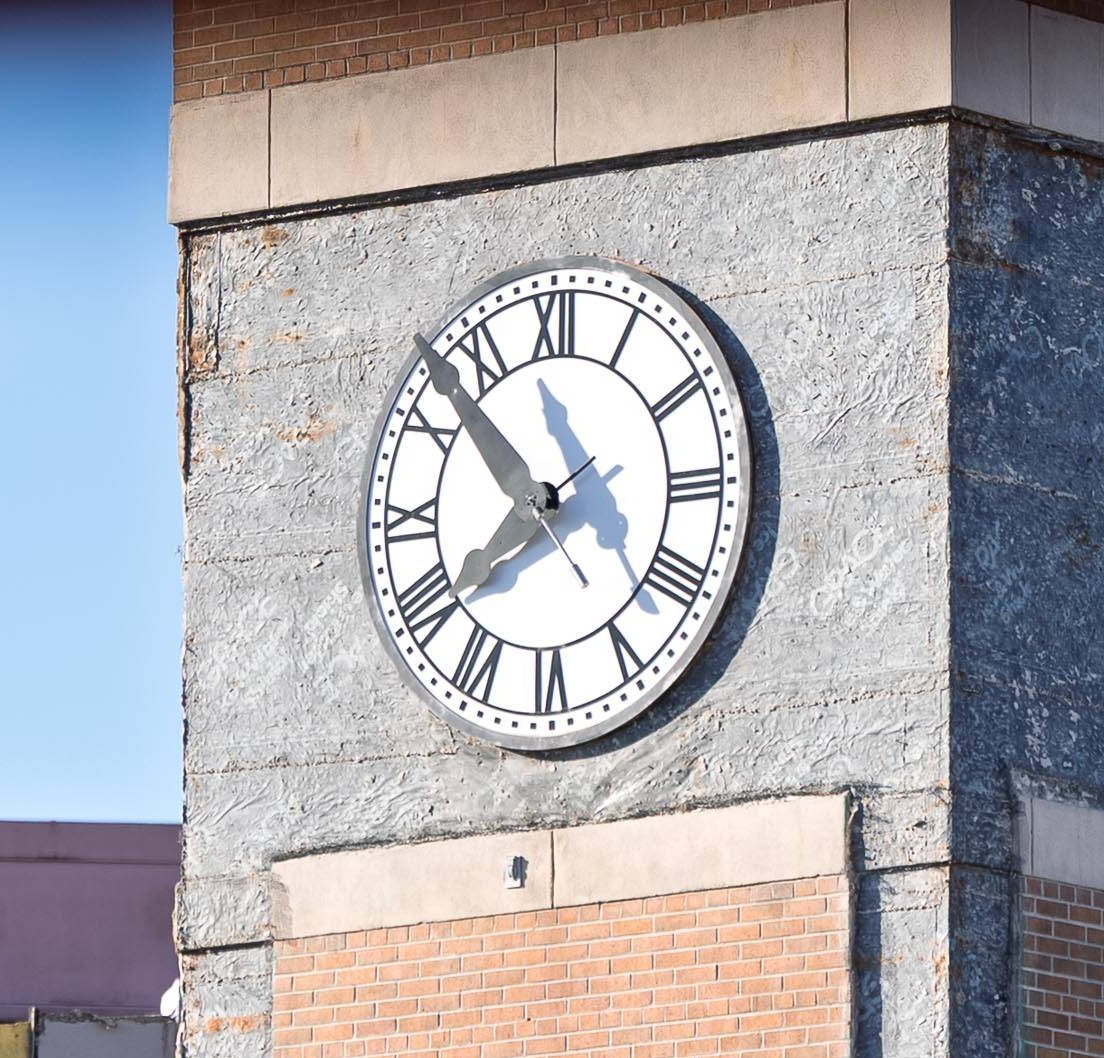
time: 3:52
